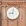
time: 9:01
